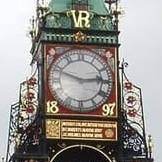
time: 2:48
